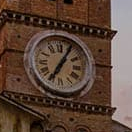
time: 7:05
